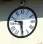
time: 9:28
